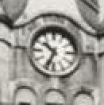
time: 10:34
